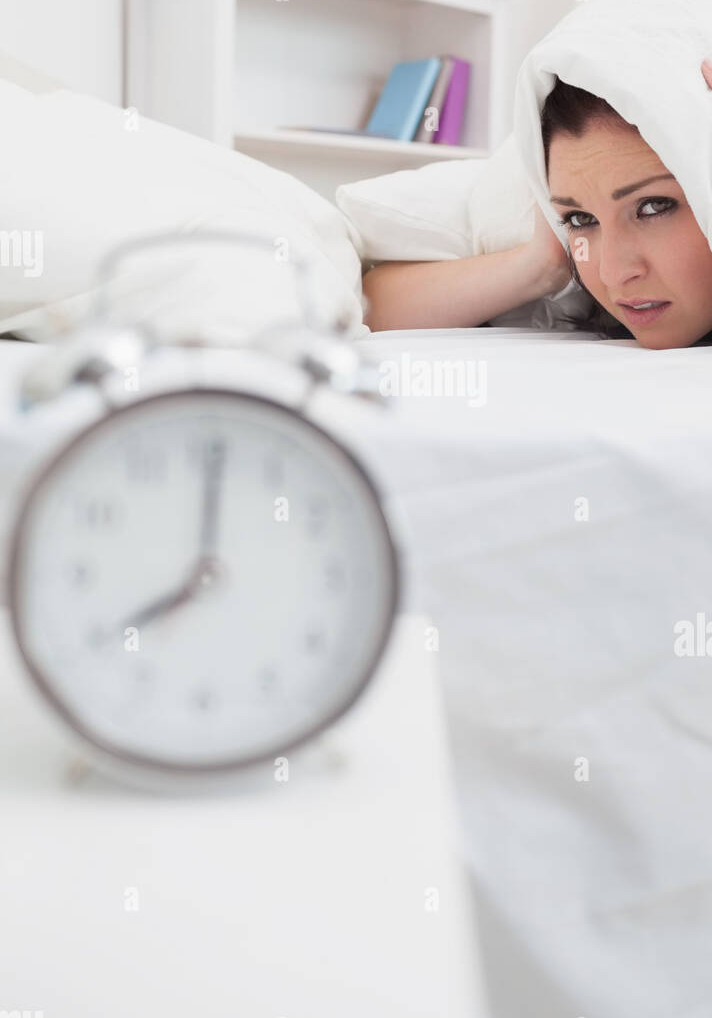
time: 8:00
